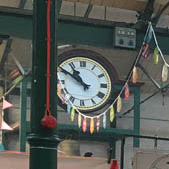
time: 10:50
